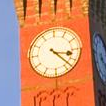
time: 3:22
